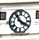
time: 3:53
